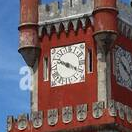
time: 3:48
